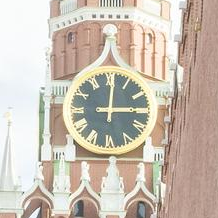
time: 3:00
